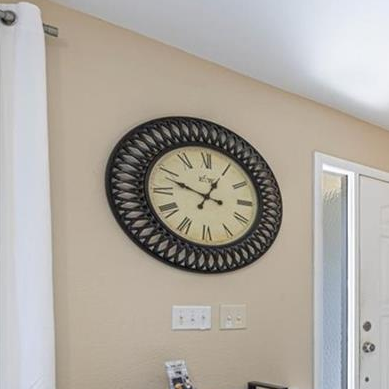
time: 12:48
